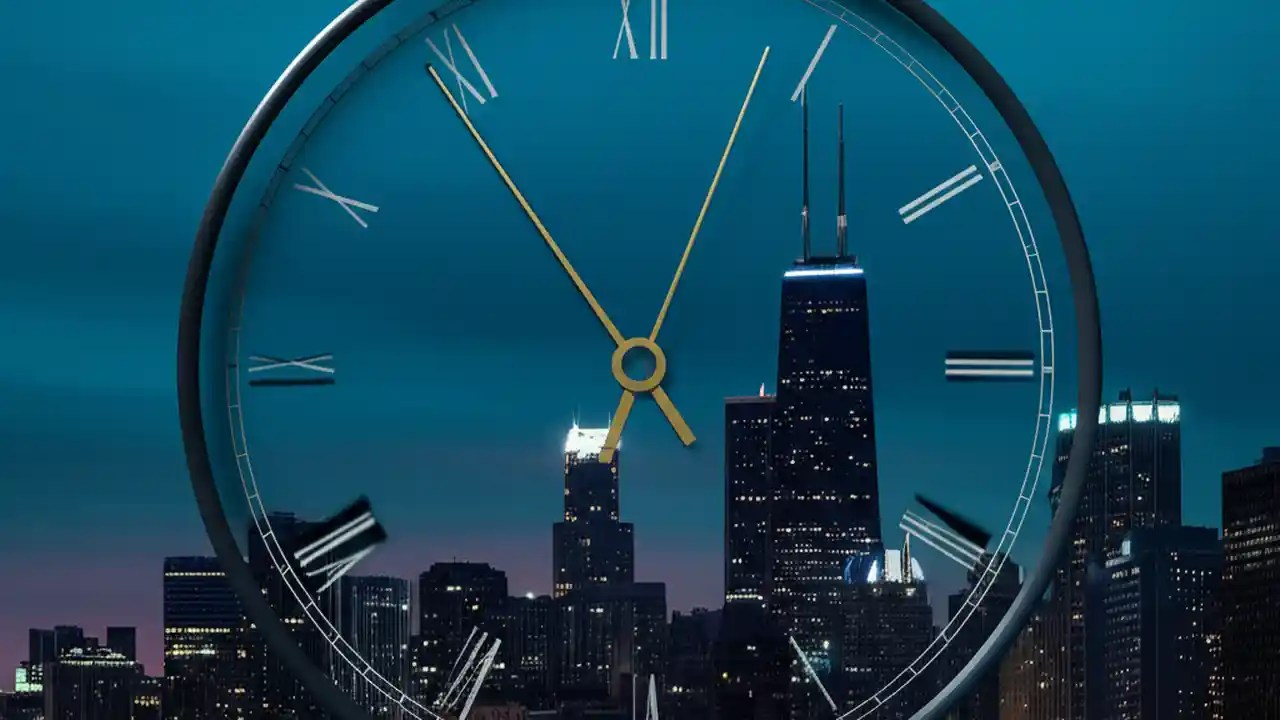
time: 5:54
